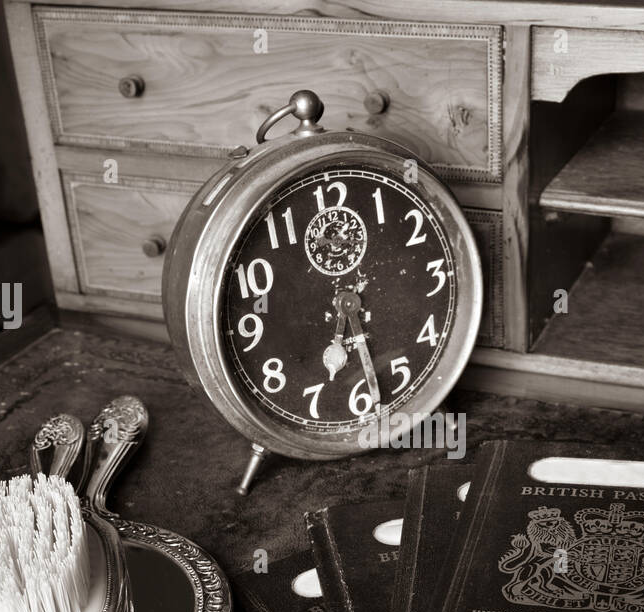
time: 6:27
